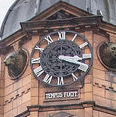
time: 3:18
